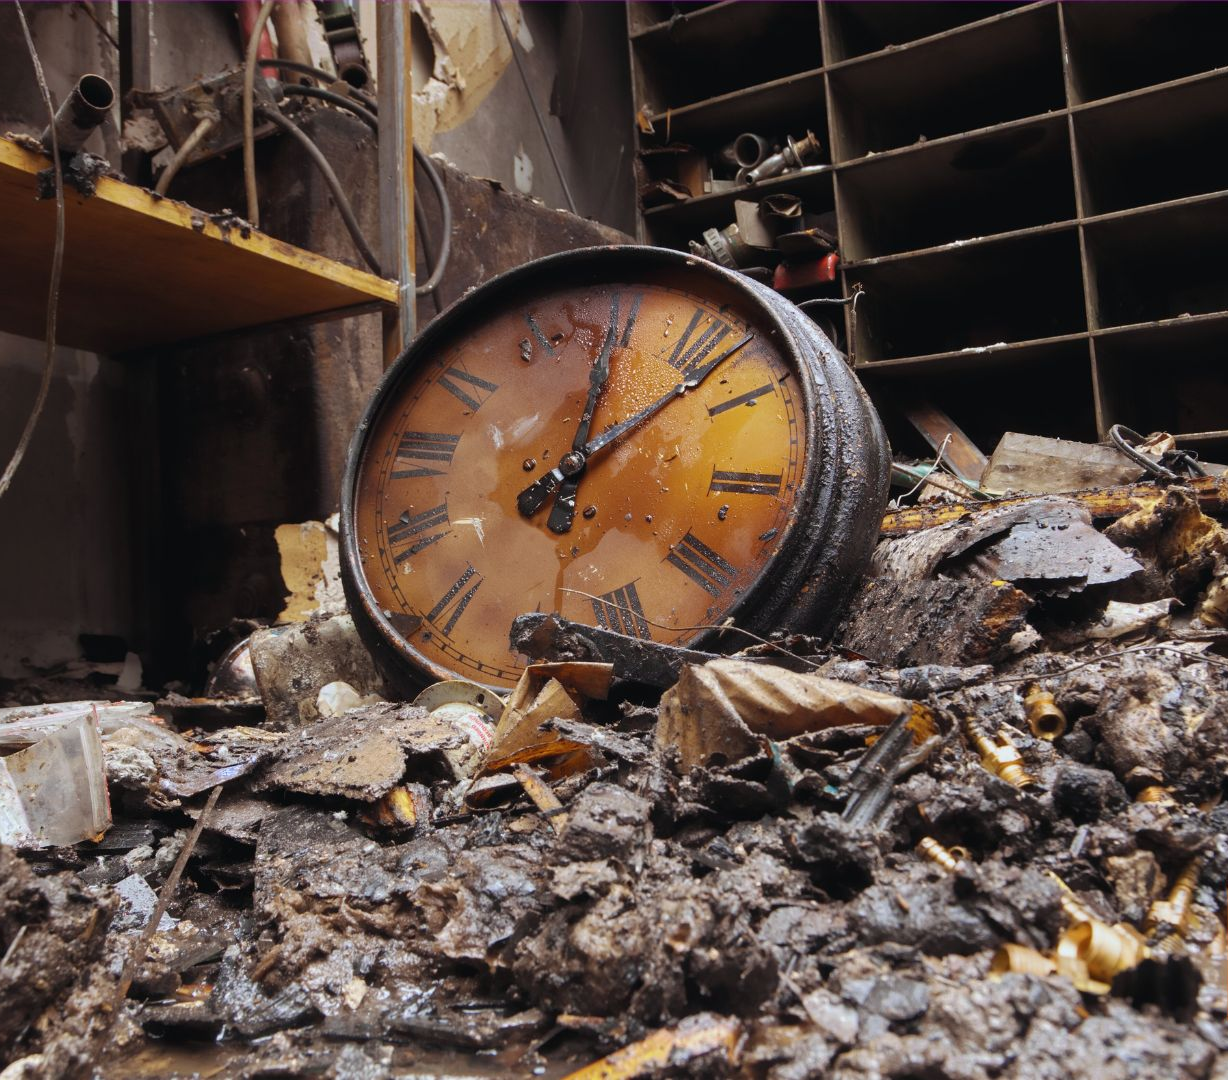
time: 12:07
